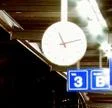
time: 11:12
